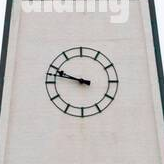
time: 9:47
